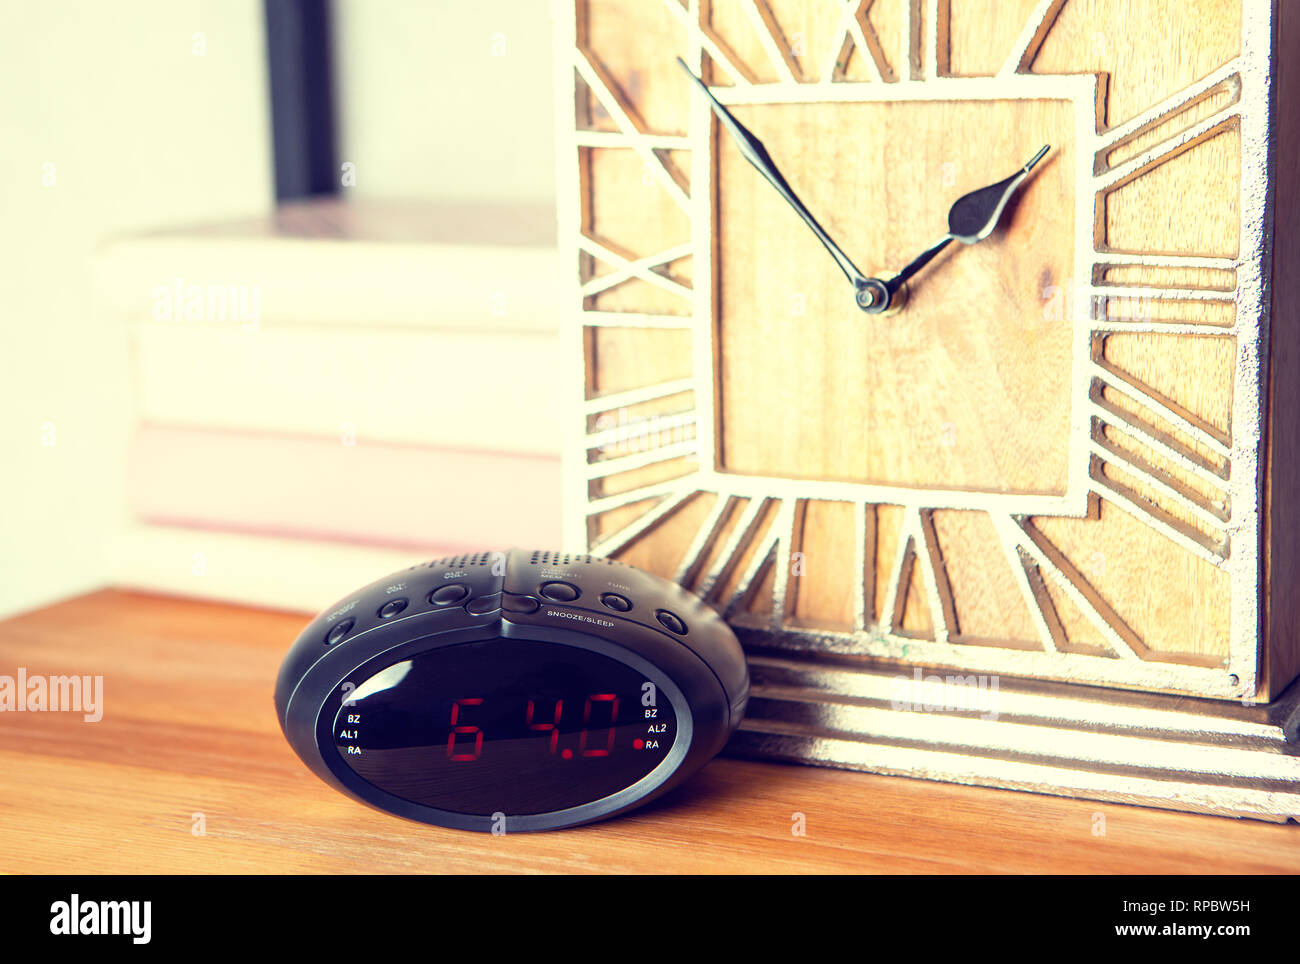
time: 1:52
